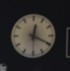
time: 12:19
